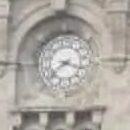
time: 3:38
